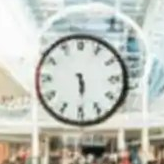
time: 5:29
